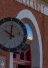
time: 10:00
